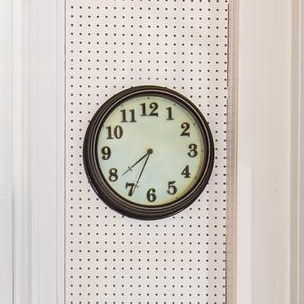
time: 7:34
